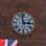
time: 2:58
